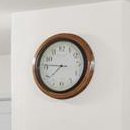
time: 7:46
